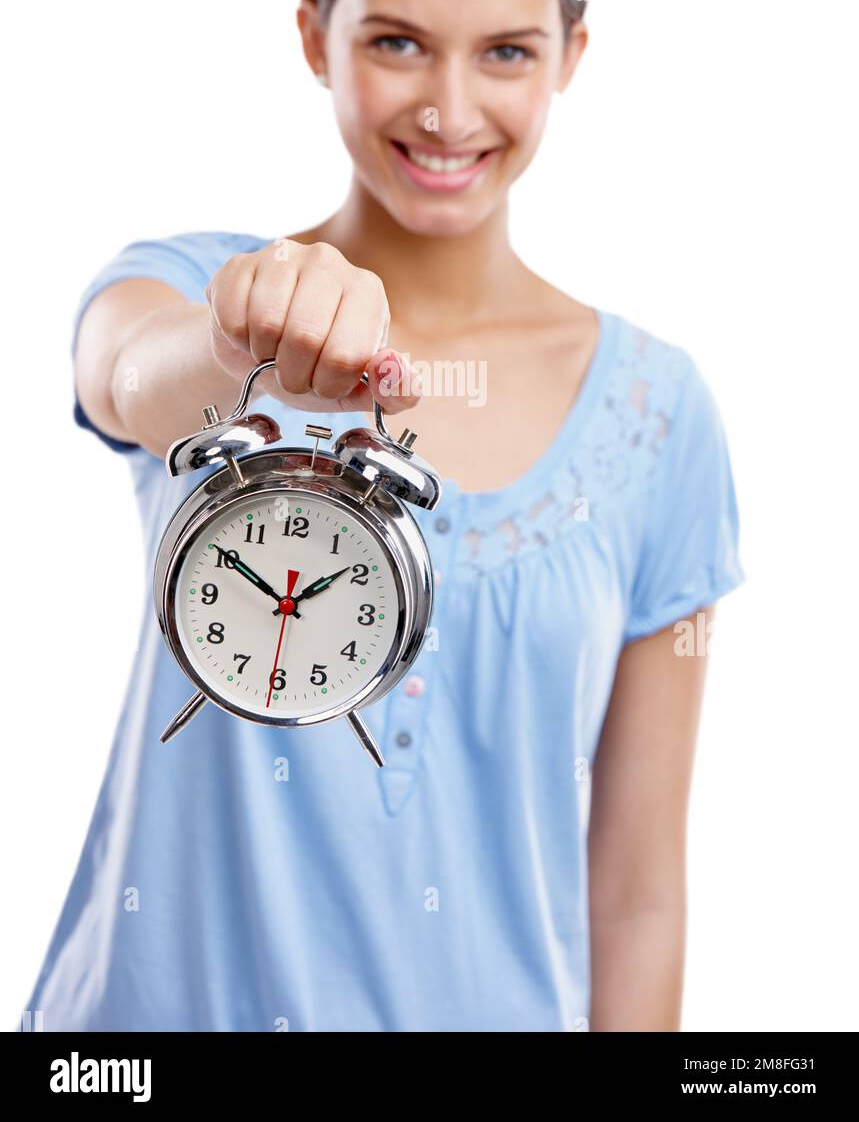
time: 1:50
